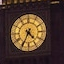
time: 4:34
